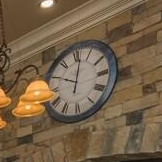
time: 10:01
